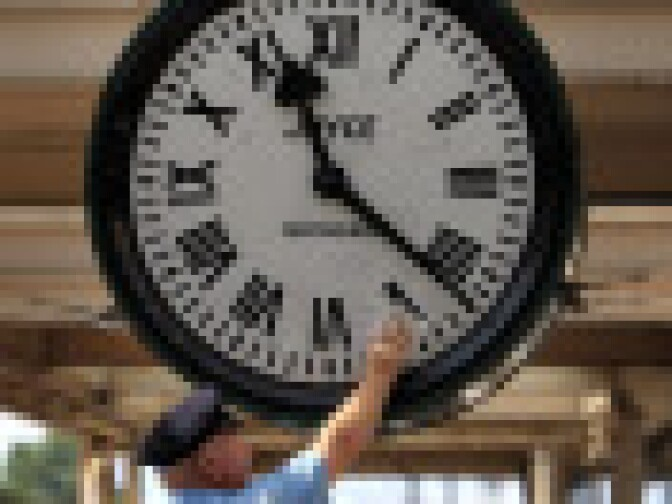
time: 11:21
